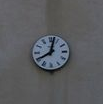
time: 8:02
